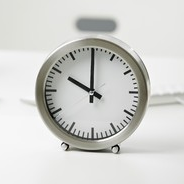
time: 10:00
